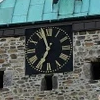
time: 6:56
